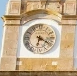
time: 6:20
